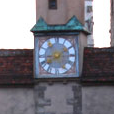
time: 8:09
